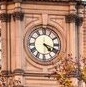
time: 4:18
